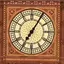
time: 7:05
